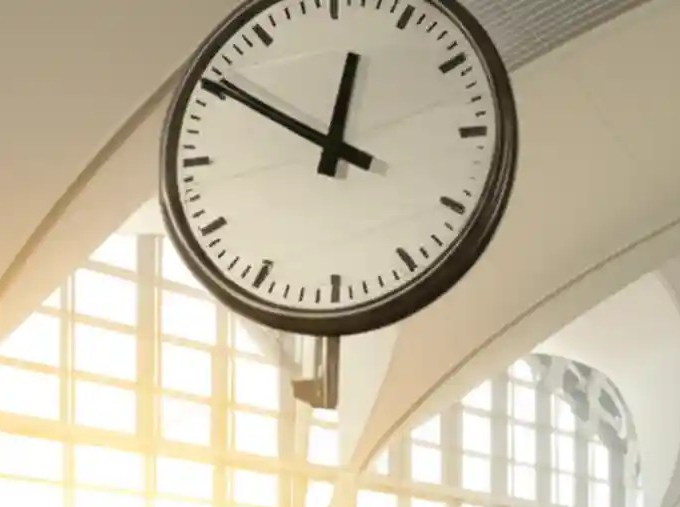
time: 12:50
